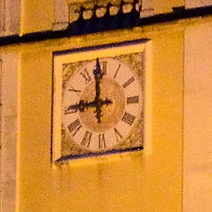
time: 8:59
